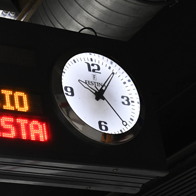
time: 10:06
